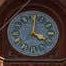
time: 4:01
